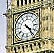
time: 4:23
